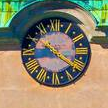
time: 4:20
